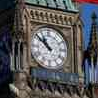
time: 10:51
